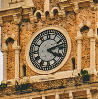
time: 4:12
